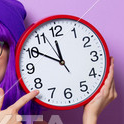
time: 11:50
